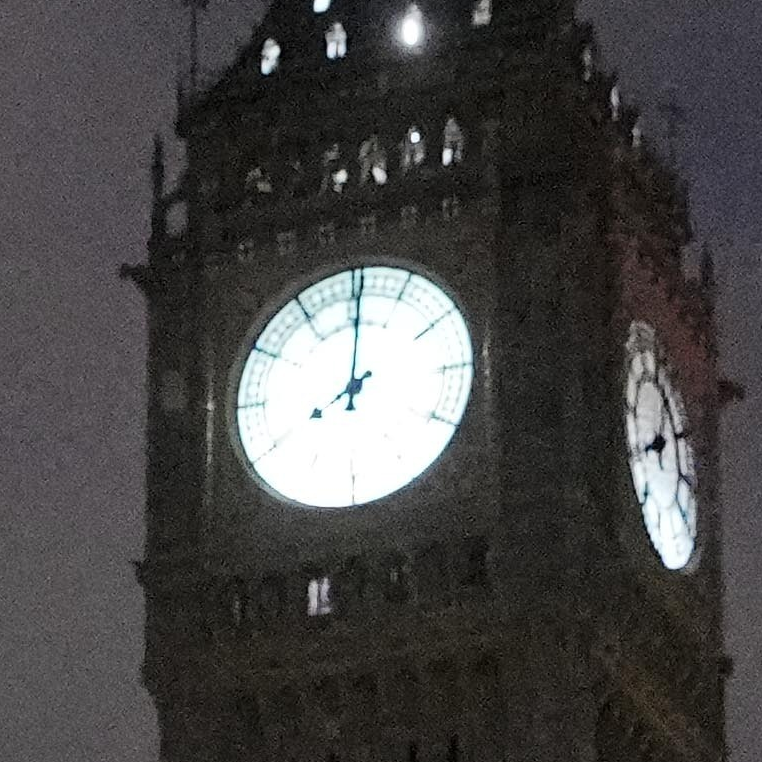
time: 8:00
